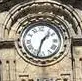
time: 1:33
